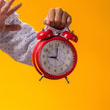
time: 9:00
